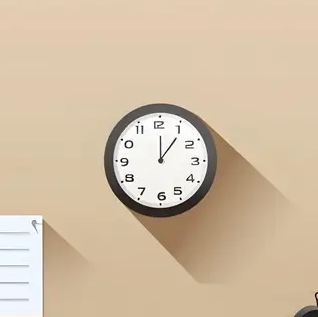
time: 12:05
